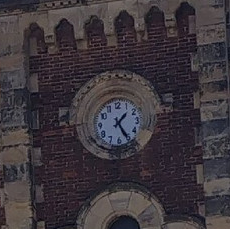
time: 1:24
